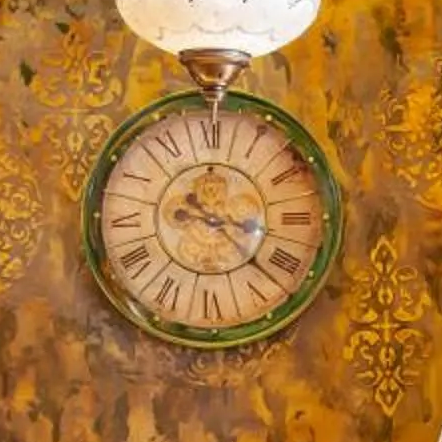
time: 3:22
